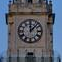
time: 12:07
